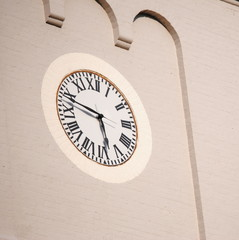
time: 5:48
